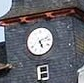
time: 5:11
